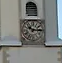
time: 10:14
